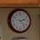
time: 2:23
